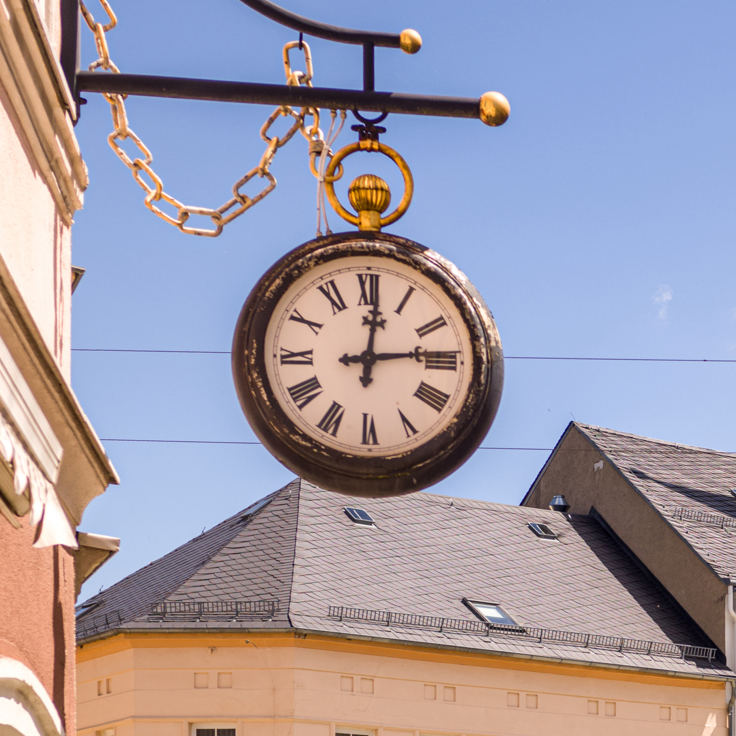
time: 12:13
